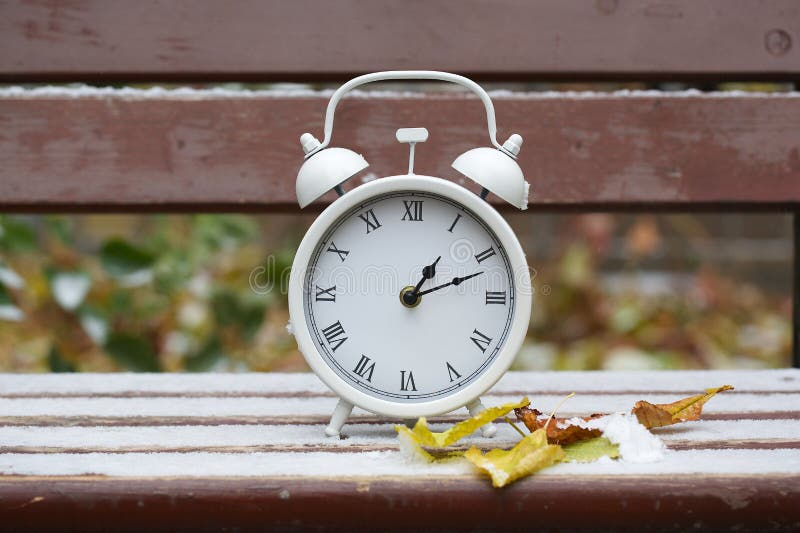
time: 1:11
